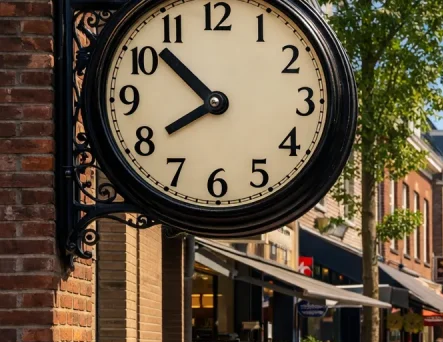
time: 7:52
